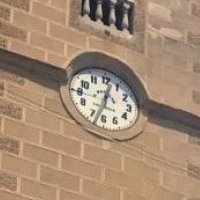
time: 12:32
